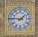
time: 1:46
